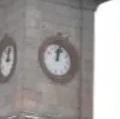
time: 12:02
